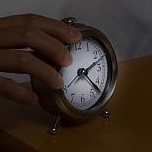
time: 2:22
